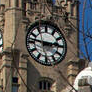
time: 2:46
